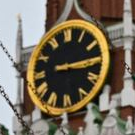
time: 3:14
